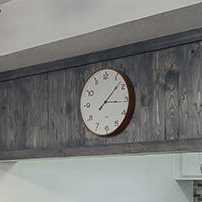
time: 3:08
